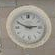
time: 2:49
